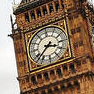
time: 3:37
